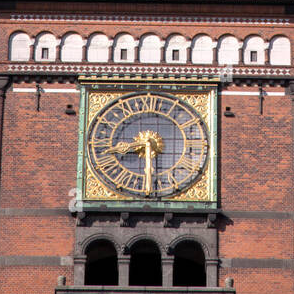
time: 8:29
